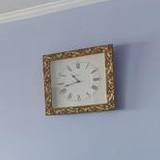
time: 10:42
